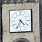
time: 4:34
